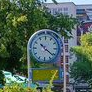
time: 10:21
